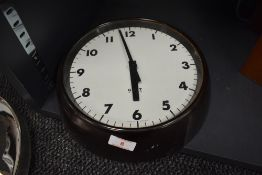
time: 5:57
